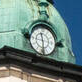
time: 11:29
